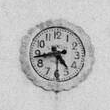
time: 4:43
